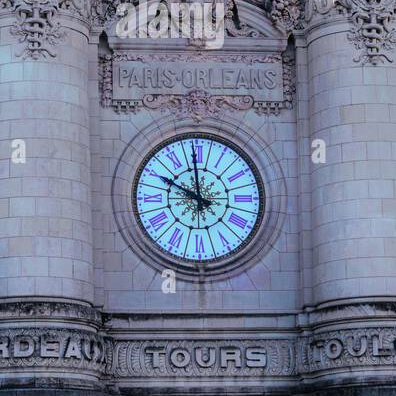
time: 9:59
